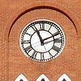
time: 11:11
